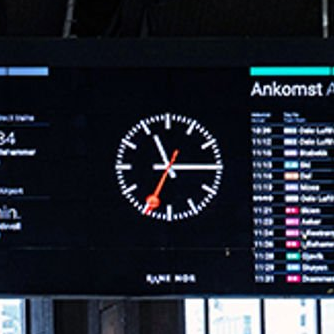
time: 11:15
